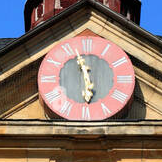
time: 5:57
